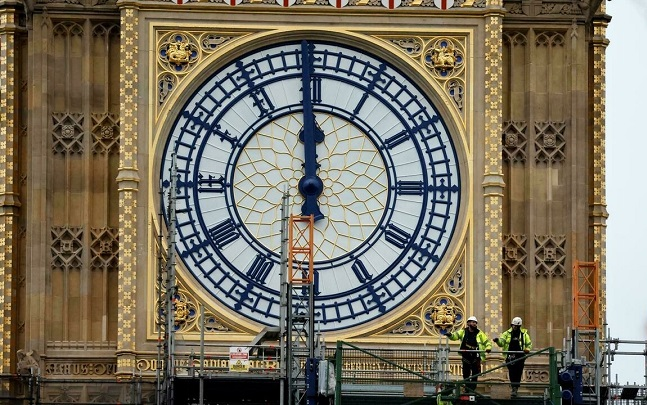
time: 11:59
